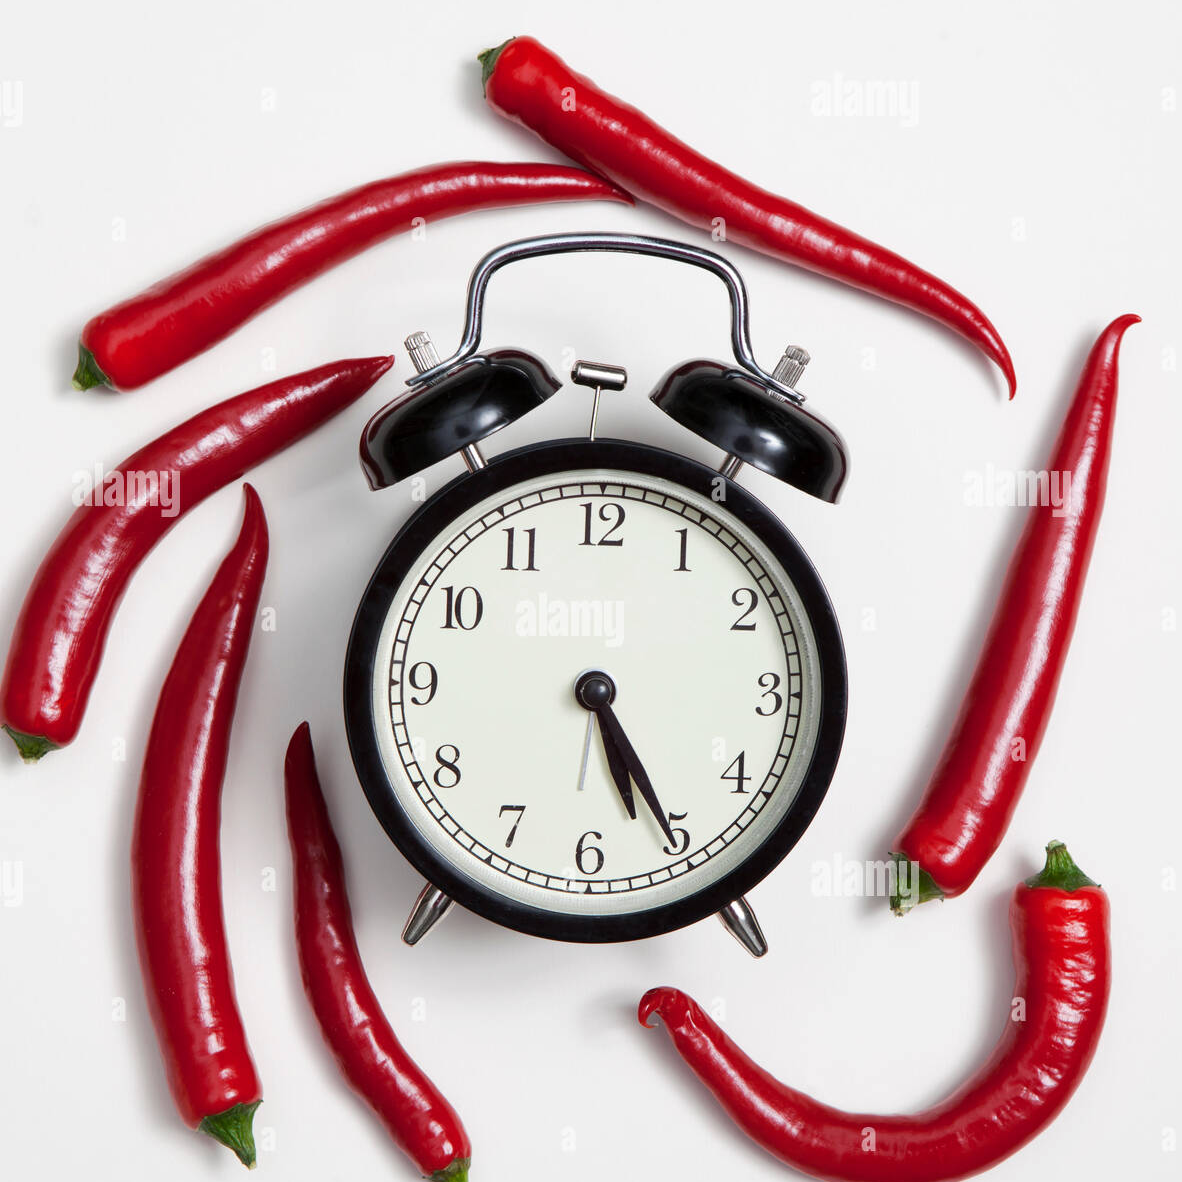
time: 5:25
